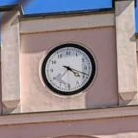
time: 4:18
